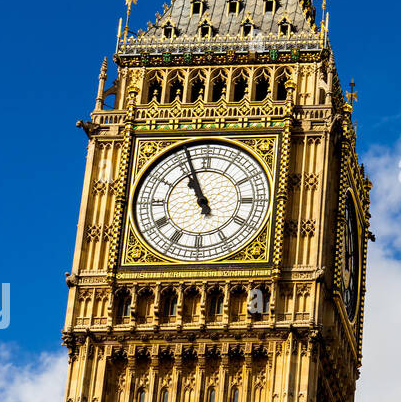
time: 10:56
